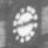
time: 2:45
